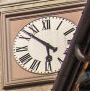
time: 5:51
